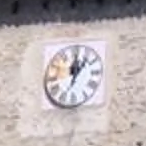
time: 12:06
